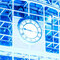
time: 9:15
